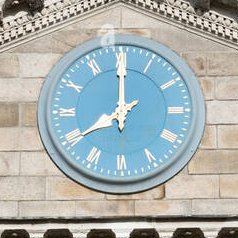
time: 8:00
